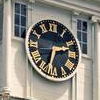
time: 2:32
